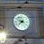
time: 3:37
